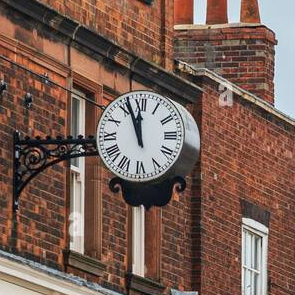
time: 11:56
